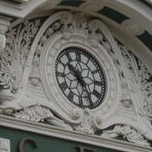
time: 10:24
